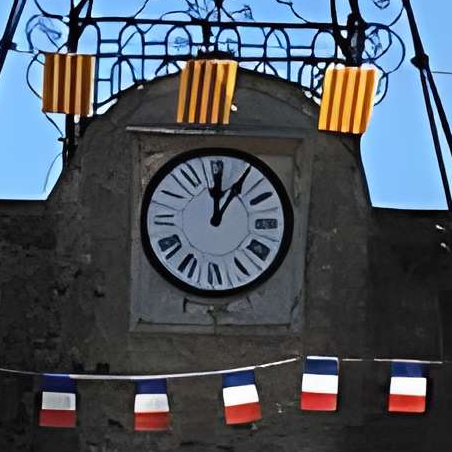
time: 12:05
